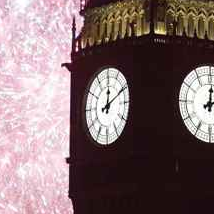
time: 12:10
